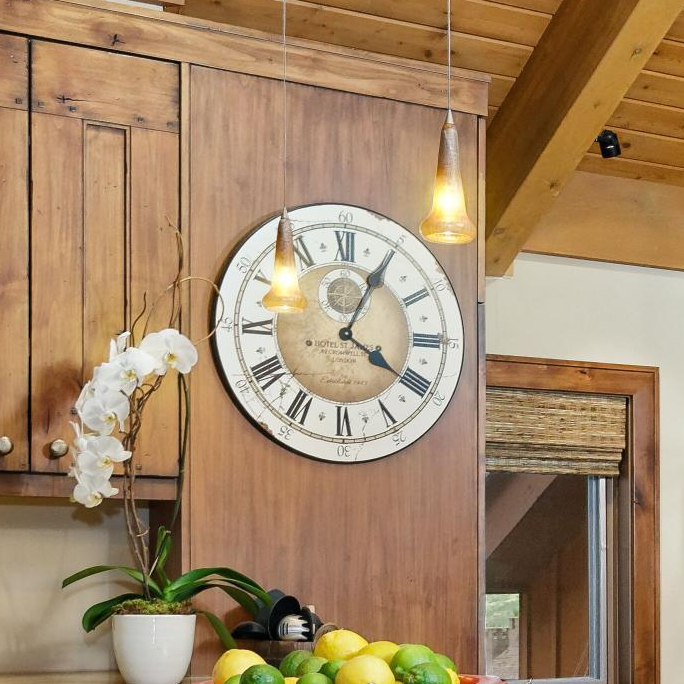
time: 4:04
